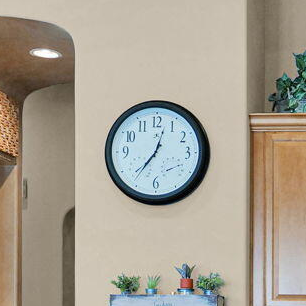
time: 12:36
